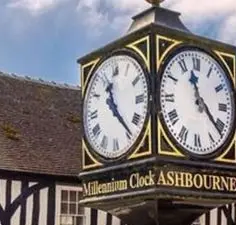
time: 11:23
